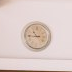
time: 10:45
